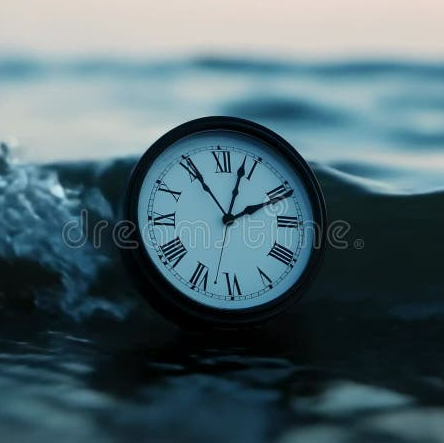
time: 2:03
